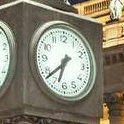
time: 6:38
